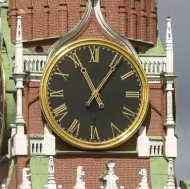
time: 11:06
